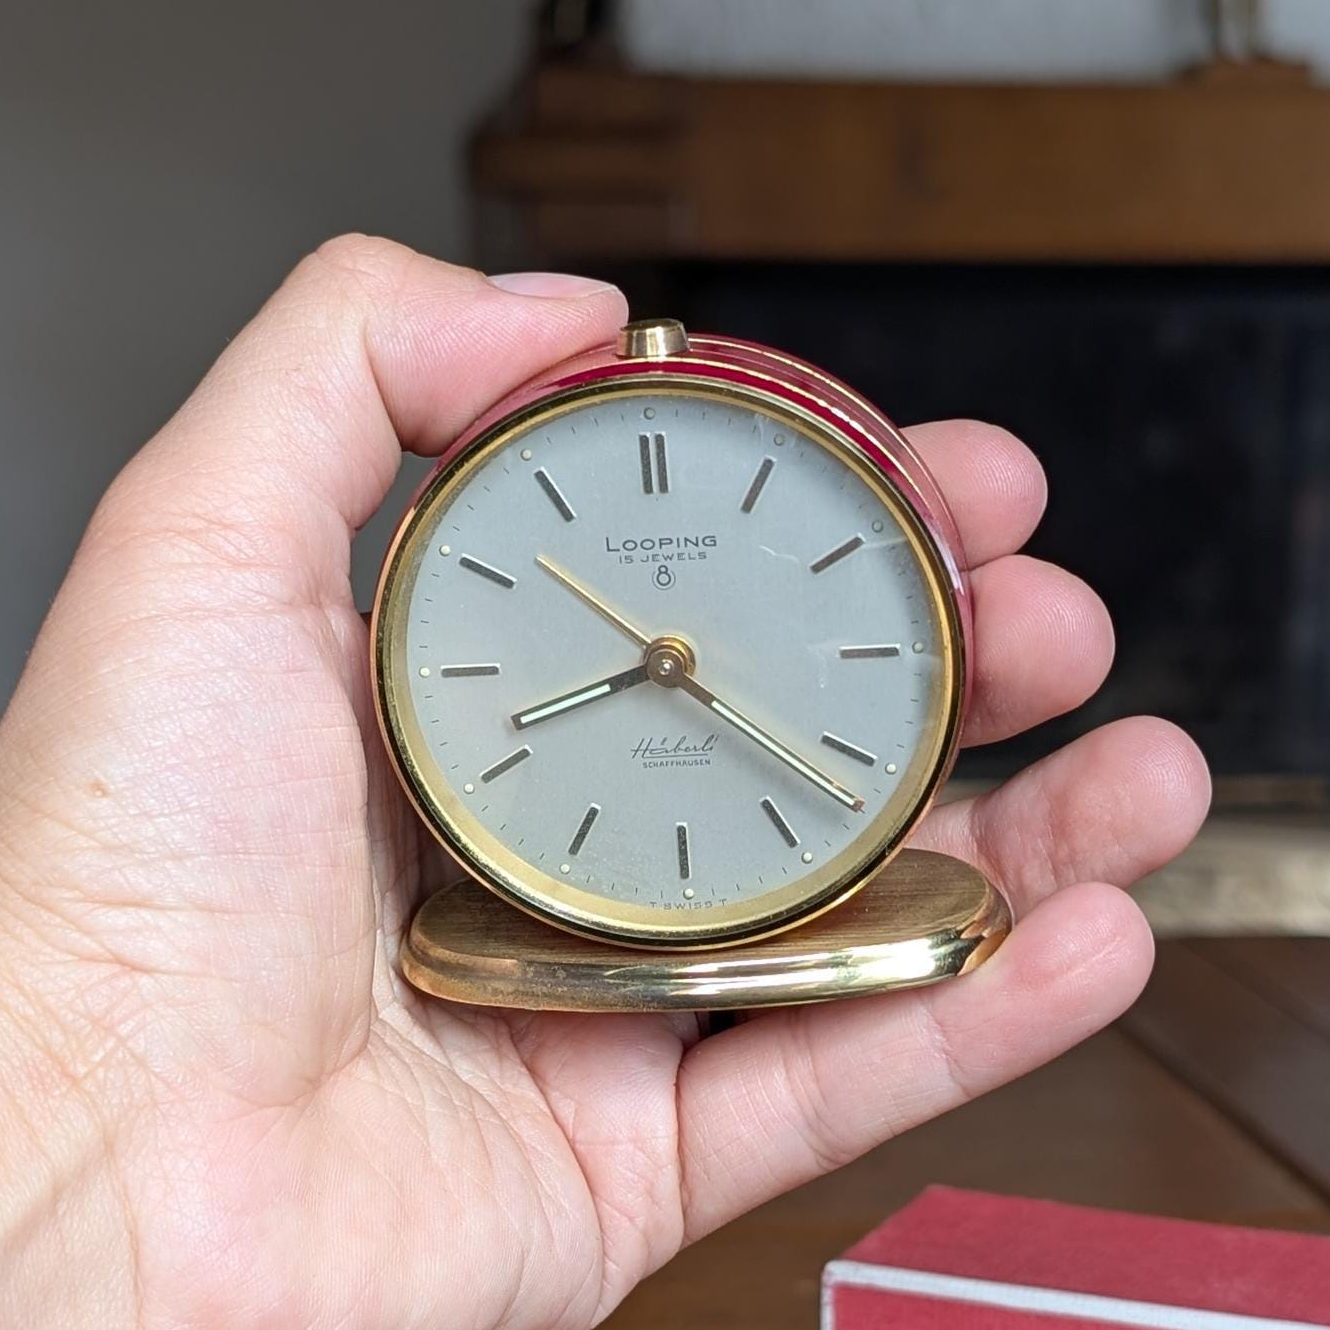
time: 8:21
